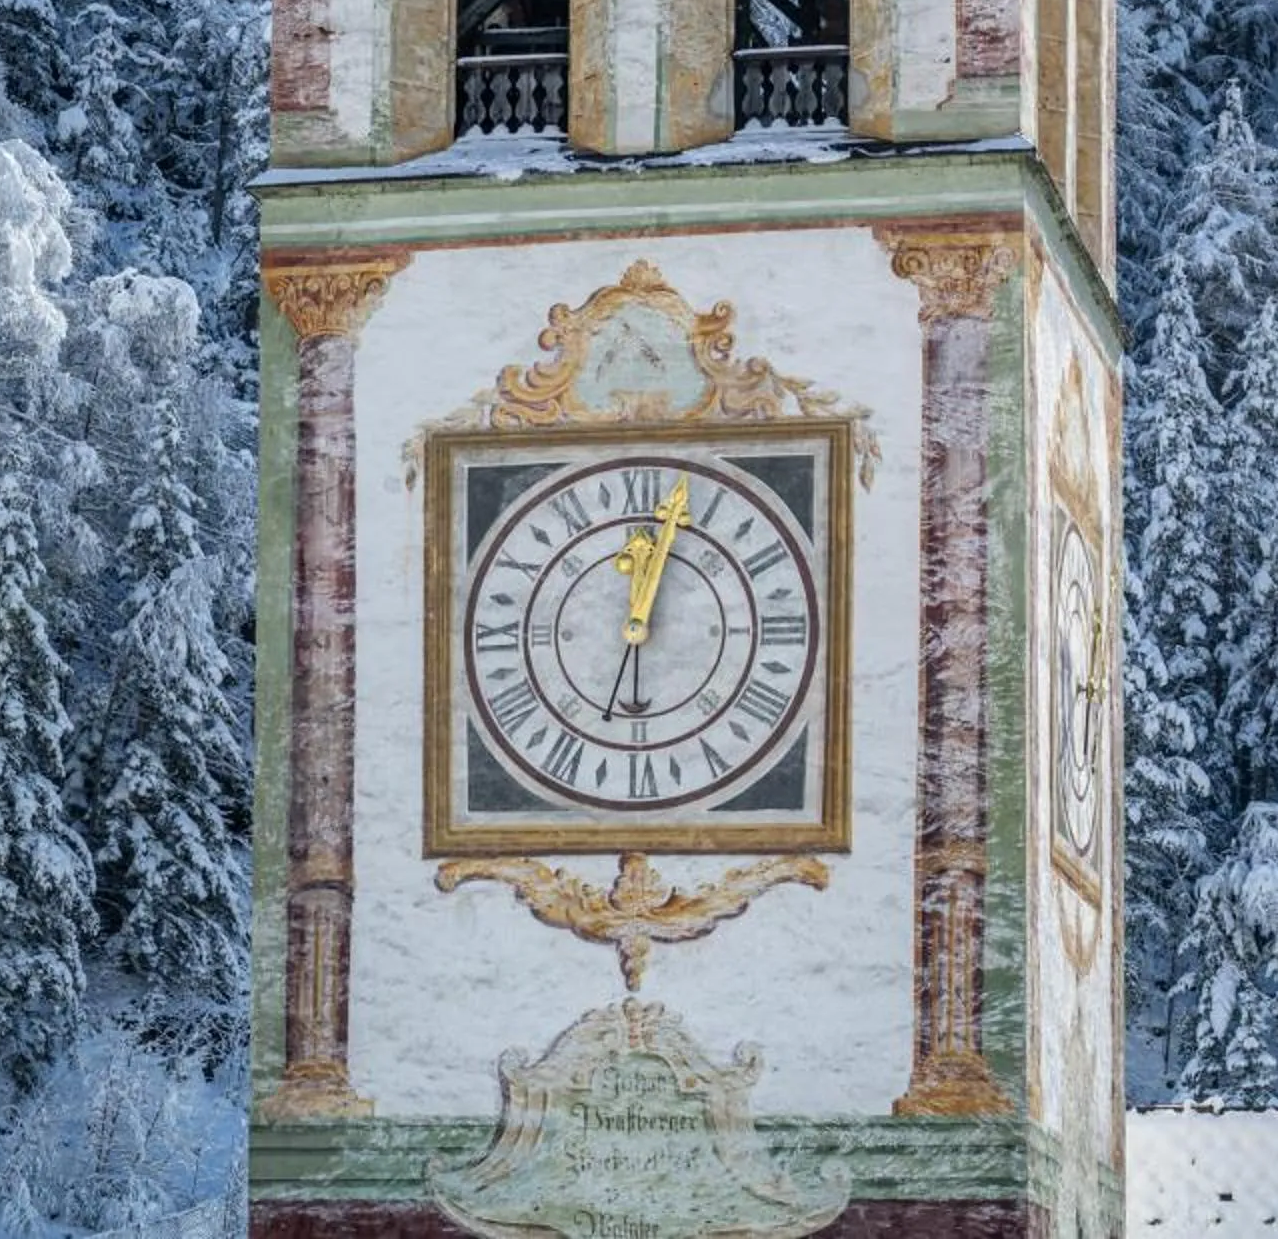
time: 12:02
